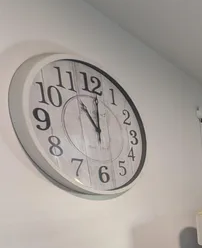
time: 11:00
